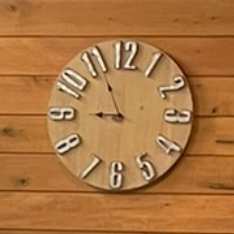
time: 8:56
